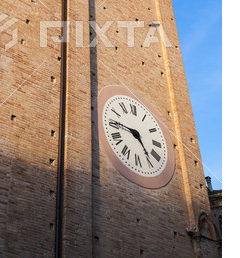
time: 4:45
